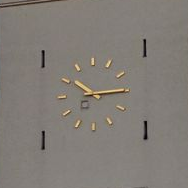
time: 10:14
